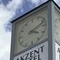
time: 4:12
